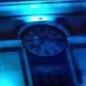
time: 7:15
